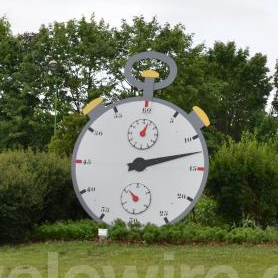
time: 2:12
